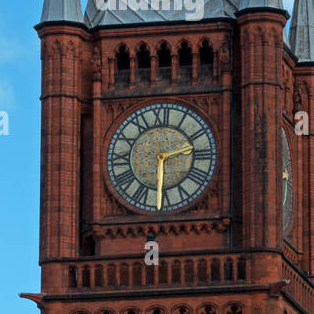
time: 2:30
